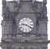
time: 9:20
